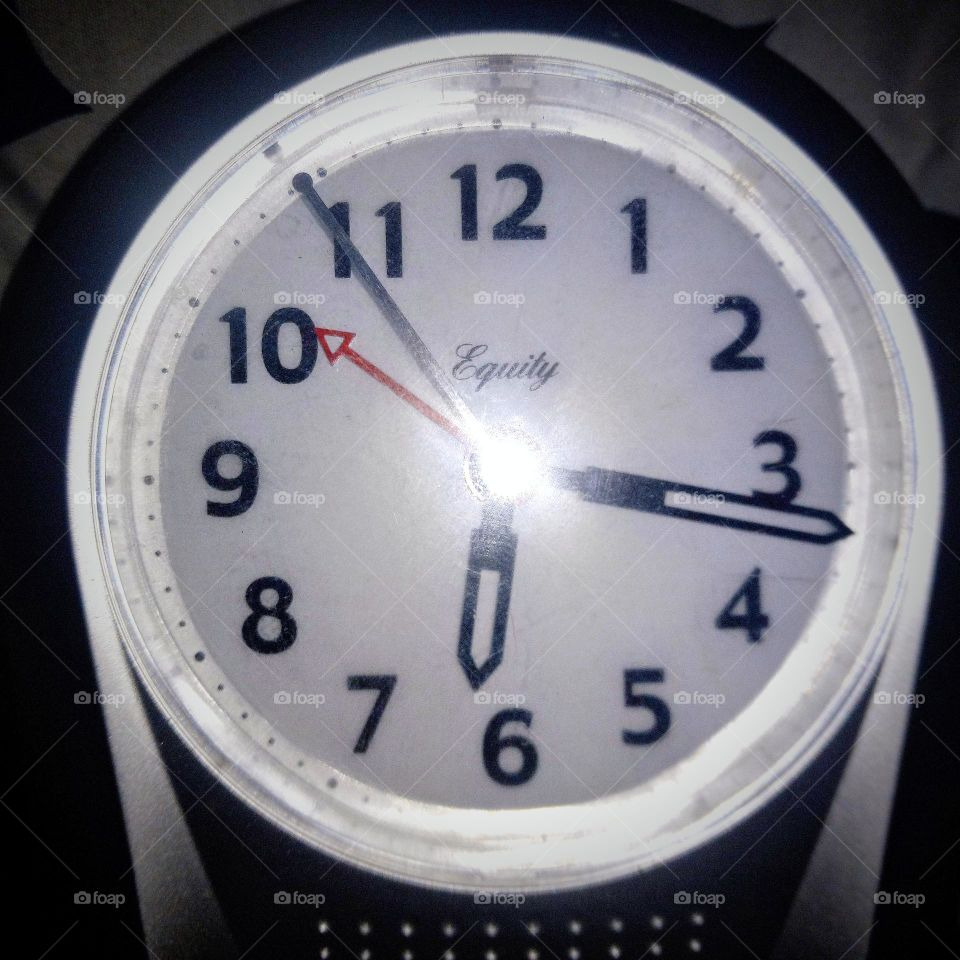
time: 6:16
